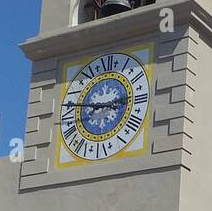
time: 2:46
